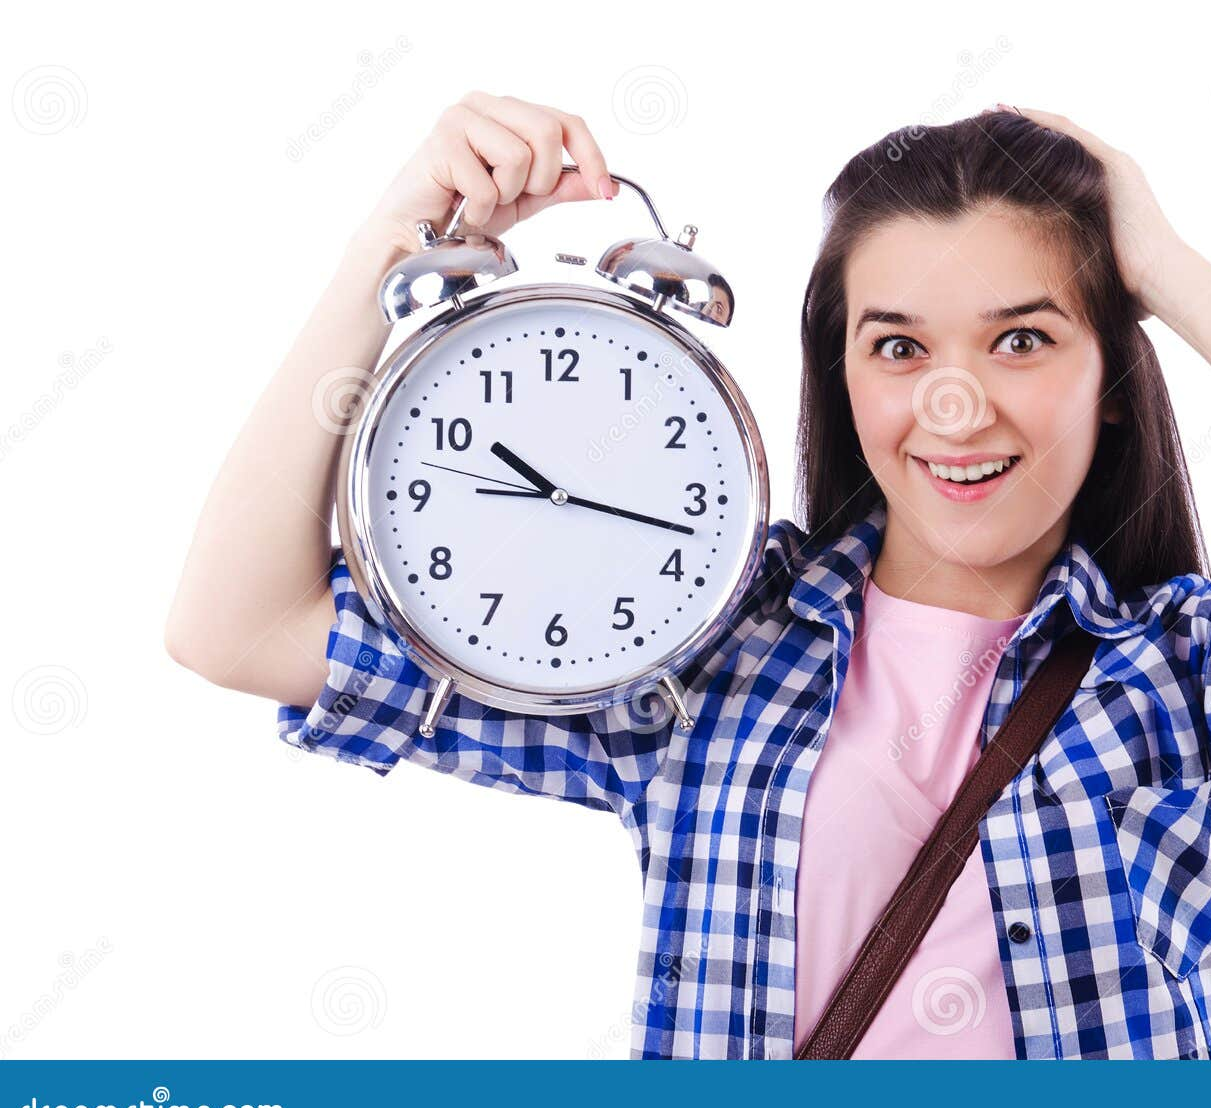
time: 10:17
